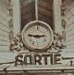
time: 2:46
